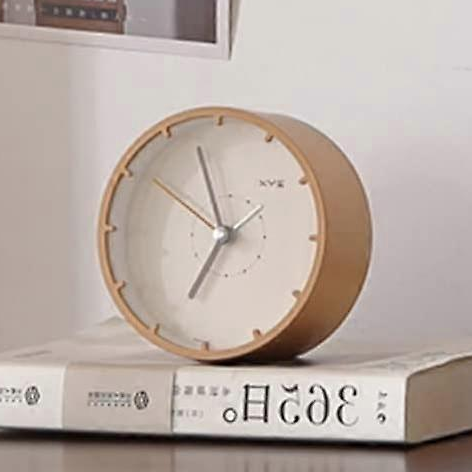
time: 6:56
